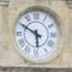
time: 5:49
